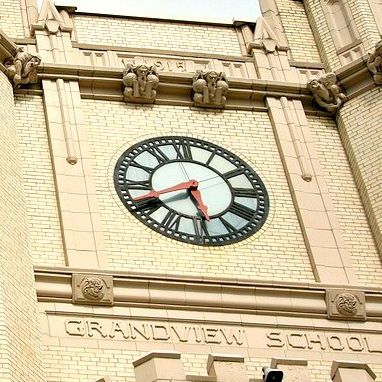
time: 5:40
